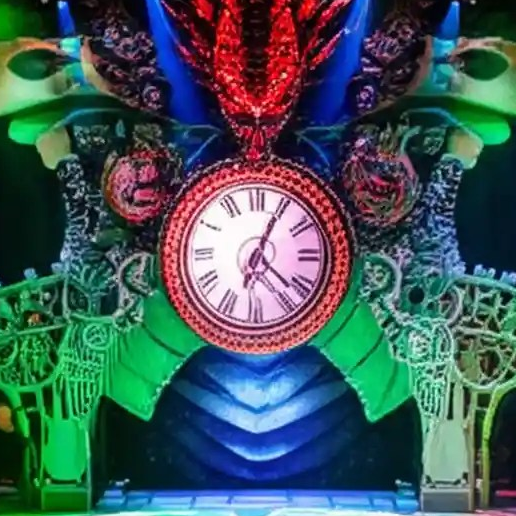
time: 4:04
